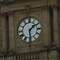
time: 1:29
